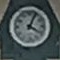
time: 4:04
